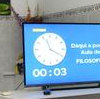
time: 11:19
